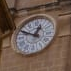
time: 12:49
